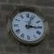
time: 3:03
